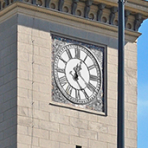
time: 12:24
